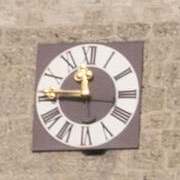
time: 11:45
